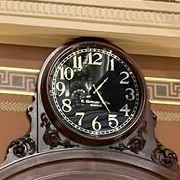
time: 1:24
